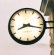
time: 8:17
